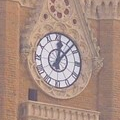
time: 12:07
